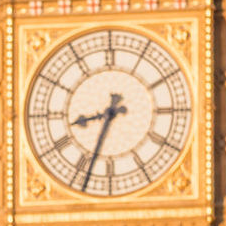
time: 8:33
